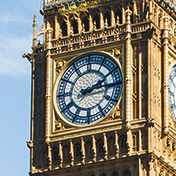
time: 2:13
